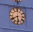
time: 5:40
